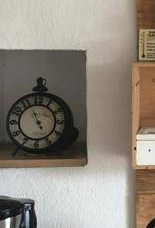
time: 4:56
